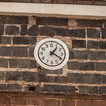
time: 1:19
